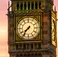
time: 7:36
